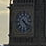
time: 4:21
